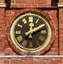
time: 12:09
